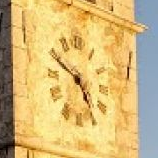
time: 4:49
